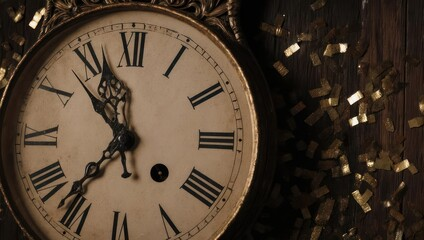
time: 10:36
